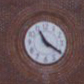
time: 11:20
